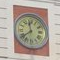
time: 11:39
